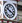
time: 10:20
